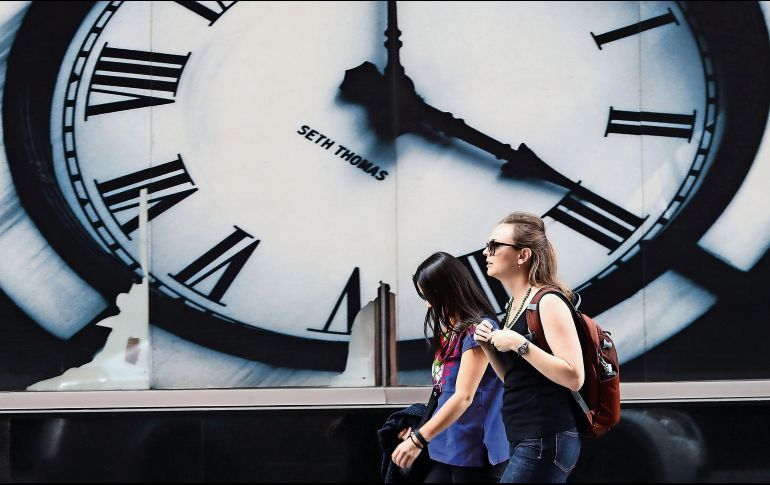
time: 3:58
